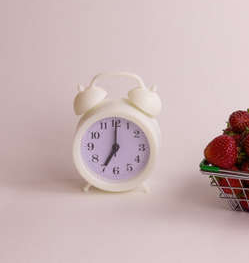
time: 7:00
